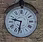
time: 9:32
